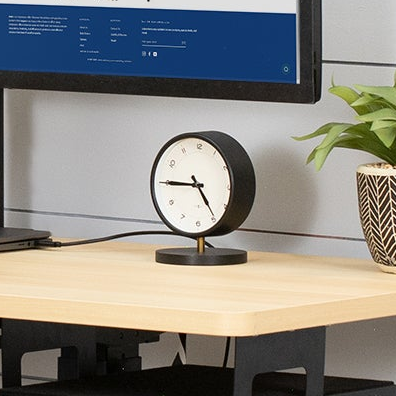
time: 4:45
